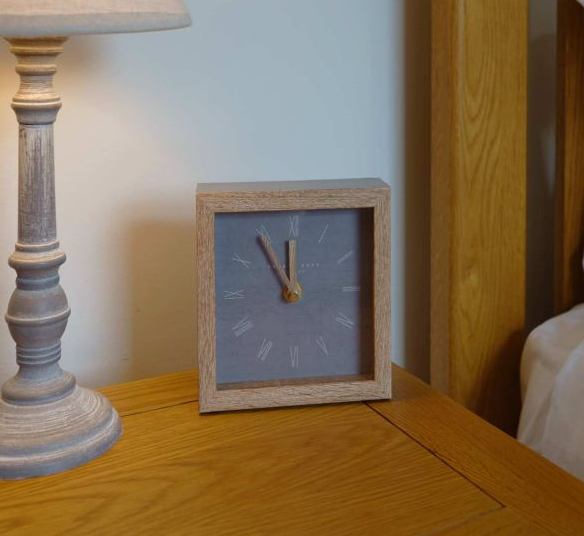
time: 11:54
